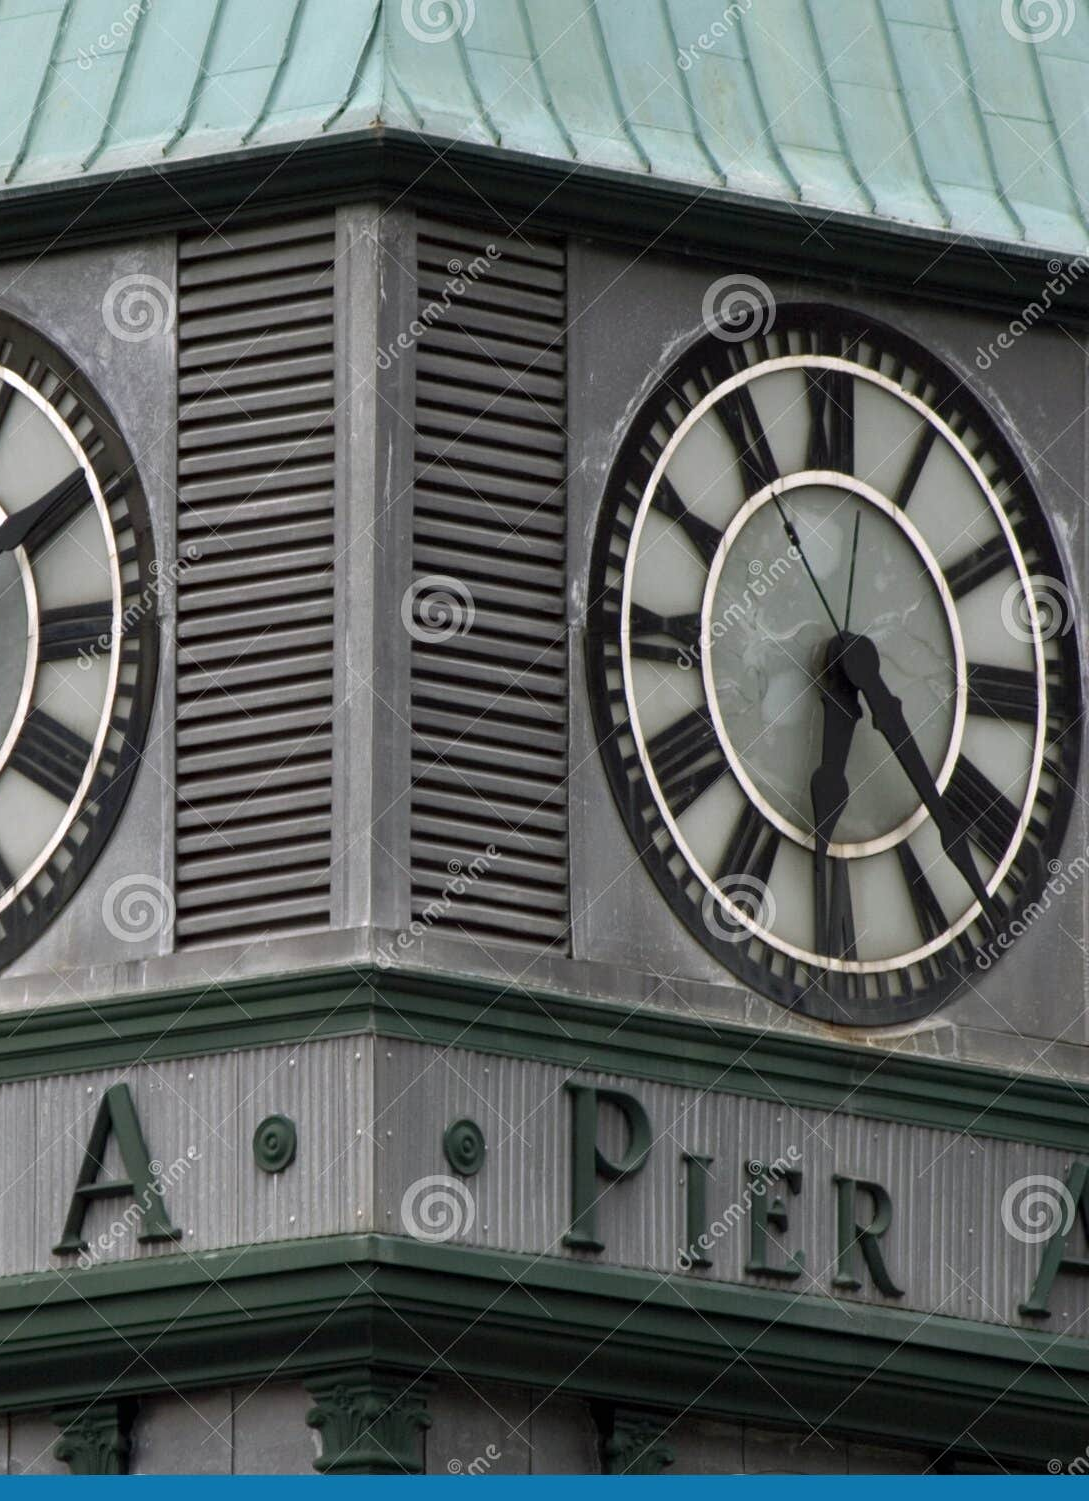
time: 6:23
